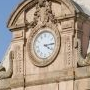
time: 4:13
